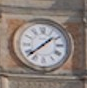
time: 1:38
